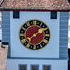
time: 1:39
